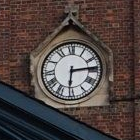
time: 6:14
